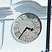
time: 3:36
